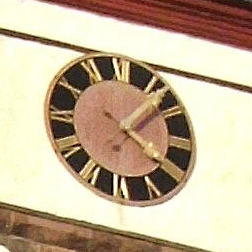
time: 4:06
